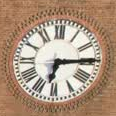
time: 6:14
